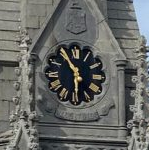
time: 5:54
